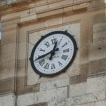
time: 12:43
